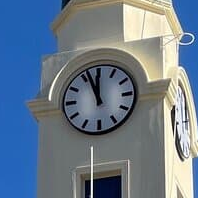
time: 11:56
